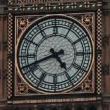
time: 4:41
